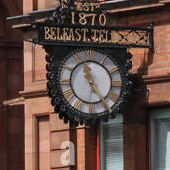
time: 11:24
